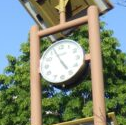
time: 4:56
